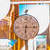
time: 6:14
